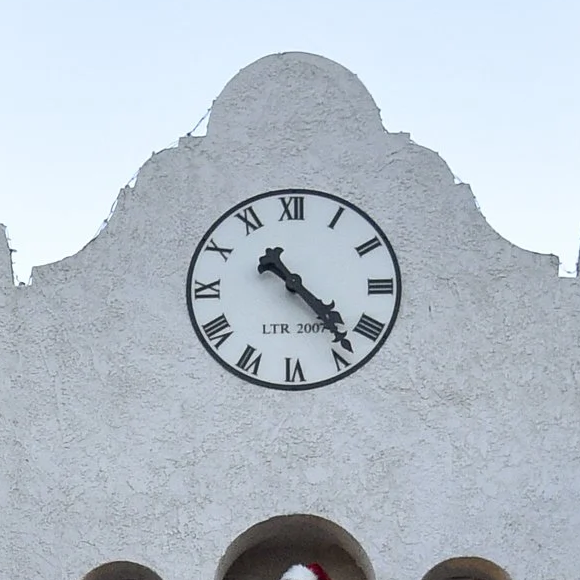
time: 4:23
